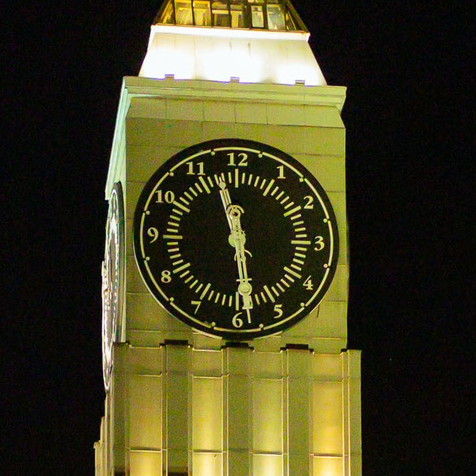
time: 11:28
